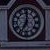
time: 7:00
